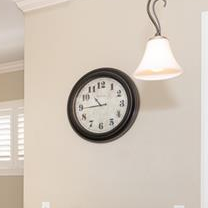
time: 10:44
